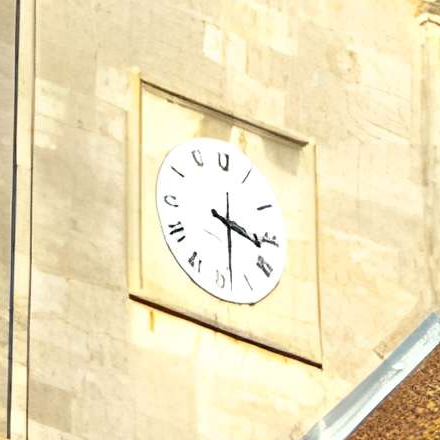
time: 3:28
